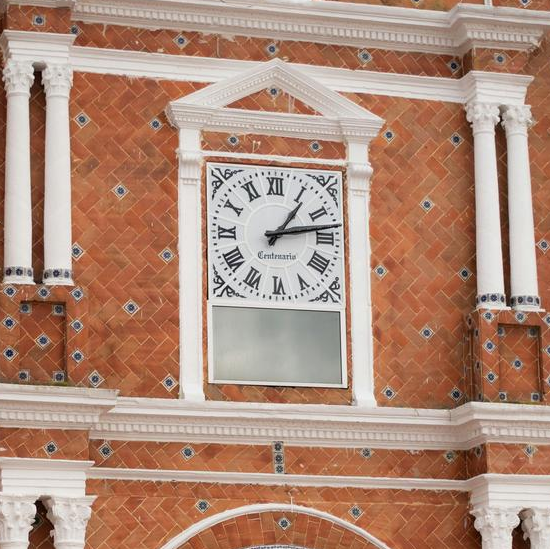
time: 1:12
